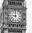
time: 8:59
